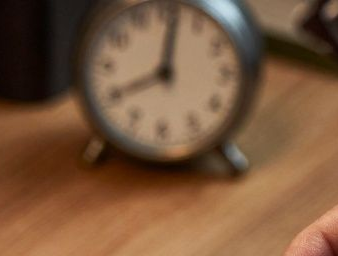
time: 8:01
